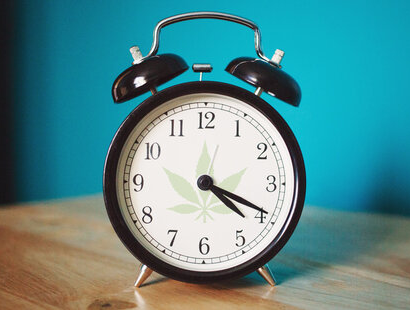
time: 4:19
